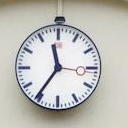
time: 11:35
